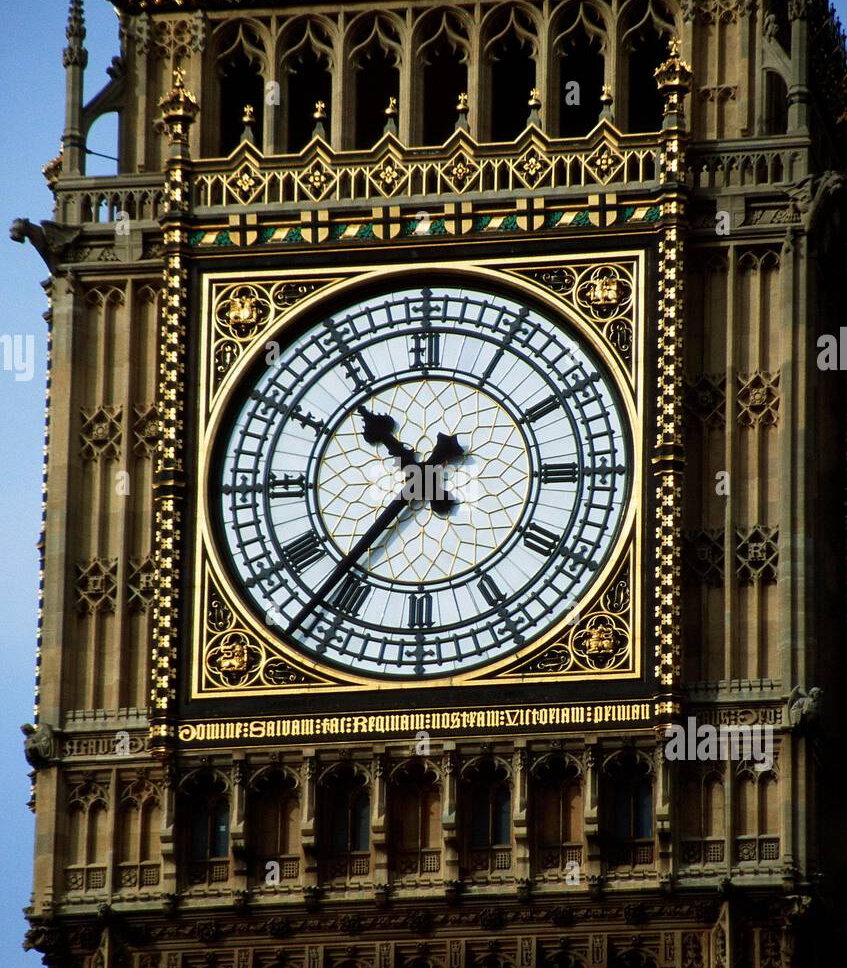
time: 10:36
